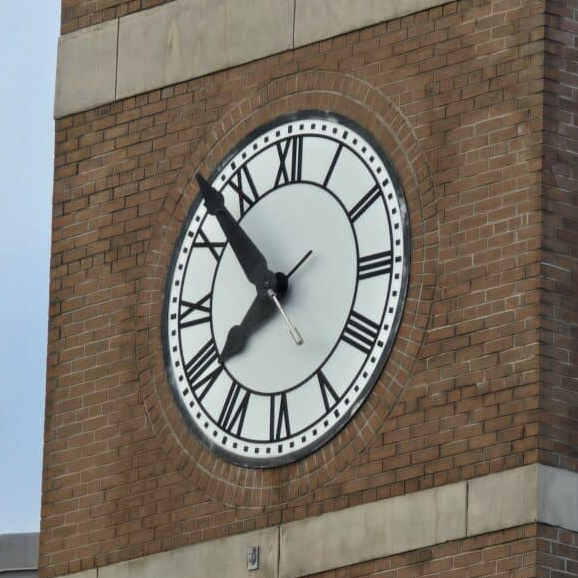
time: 7:52
